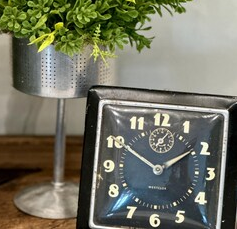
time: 1:50
